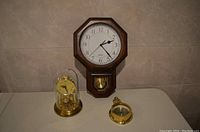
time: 2:23
